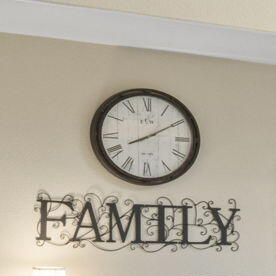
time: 8:09
